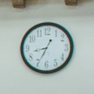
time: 8:34
